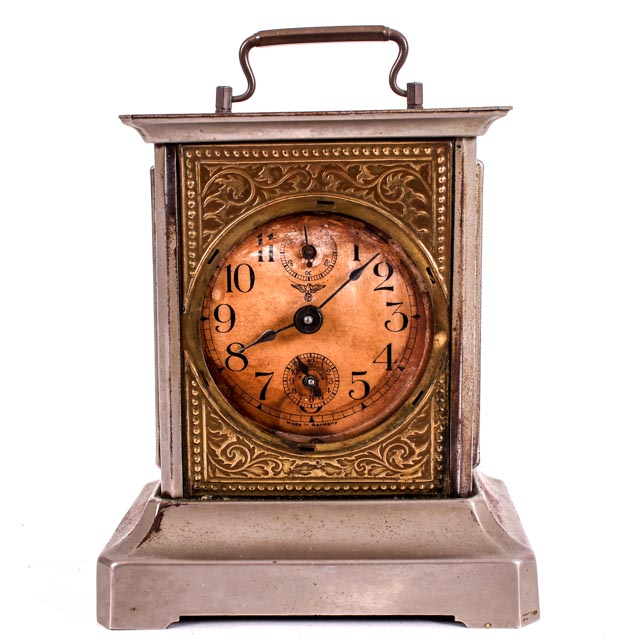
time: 8:07
